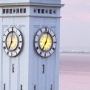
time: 7:03
